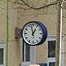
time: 12:57
